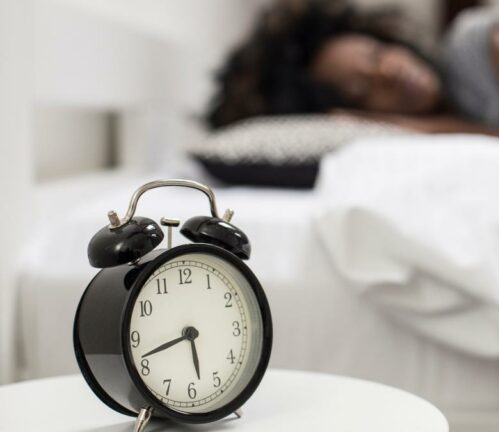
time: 5:42
